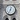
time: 12:34
